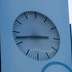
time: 2:42
